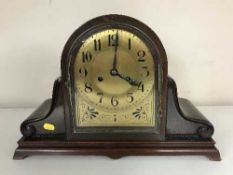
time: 4:01
